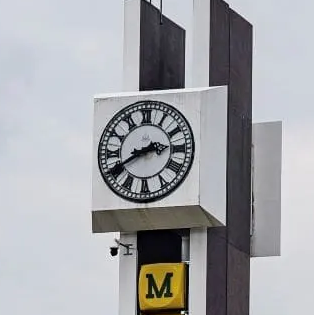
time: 2:40
